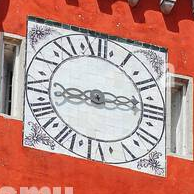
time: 8:13
